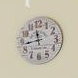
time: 11:43
